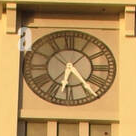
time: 6:23
